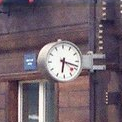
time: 6:18
